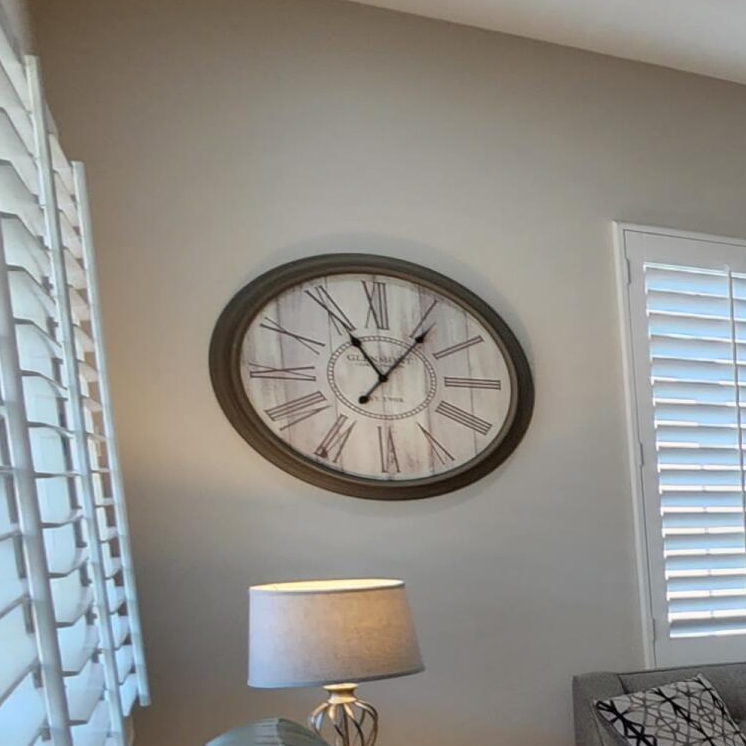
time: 11:06
